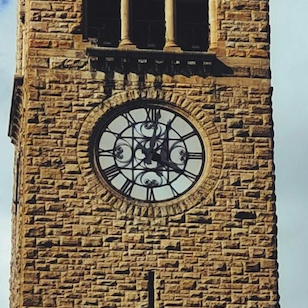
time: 4:01
